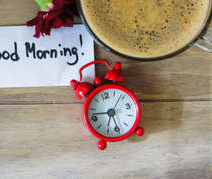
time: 5:45
